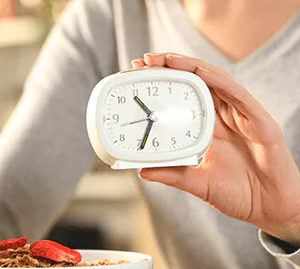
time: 10:33
